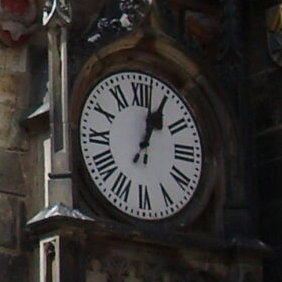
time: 1:02
